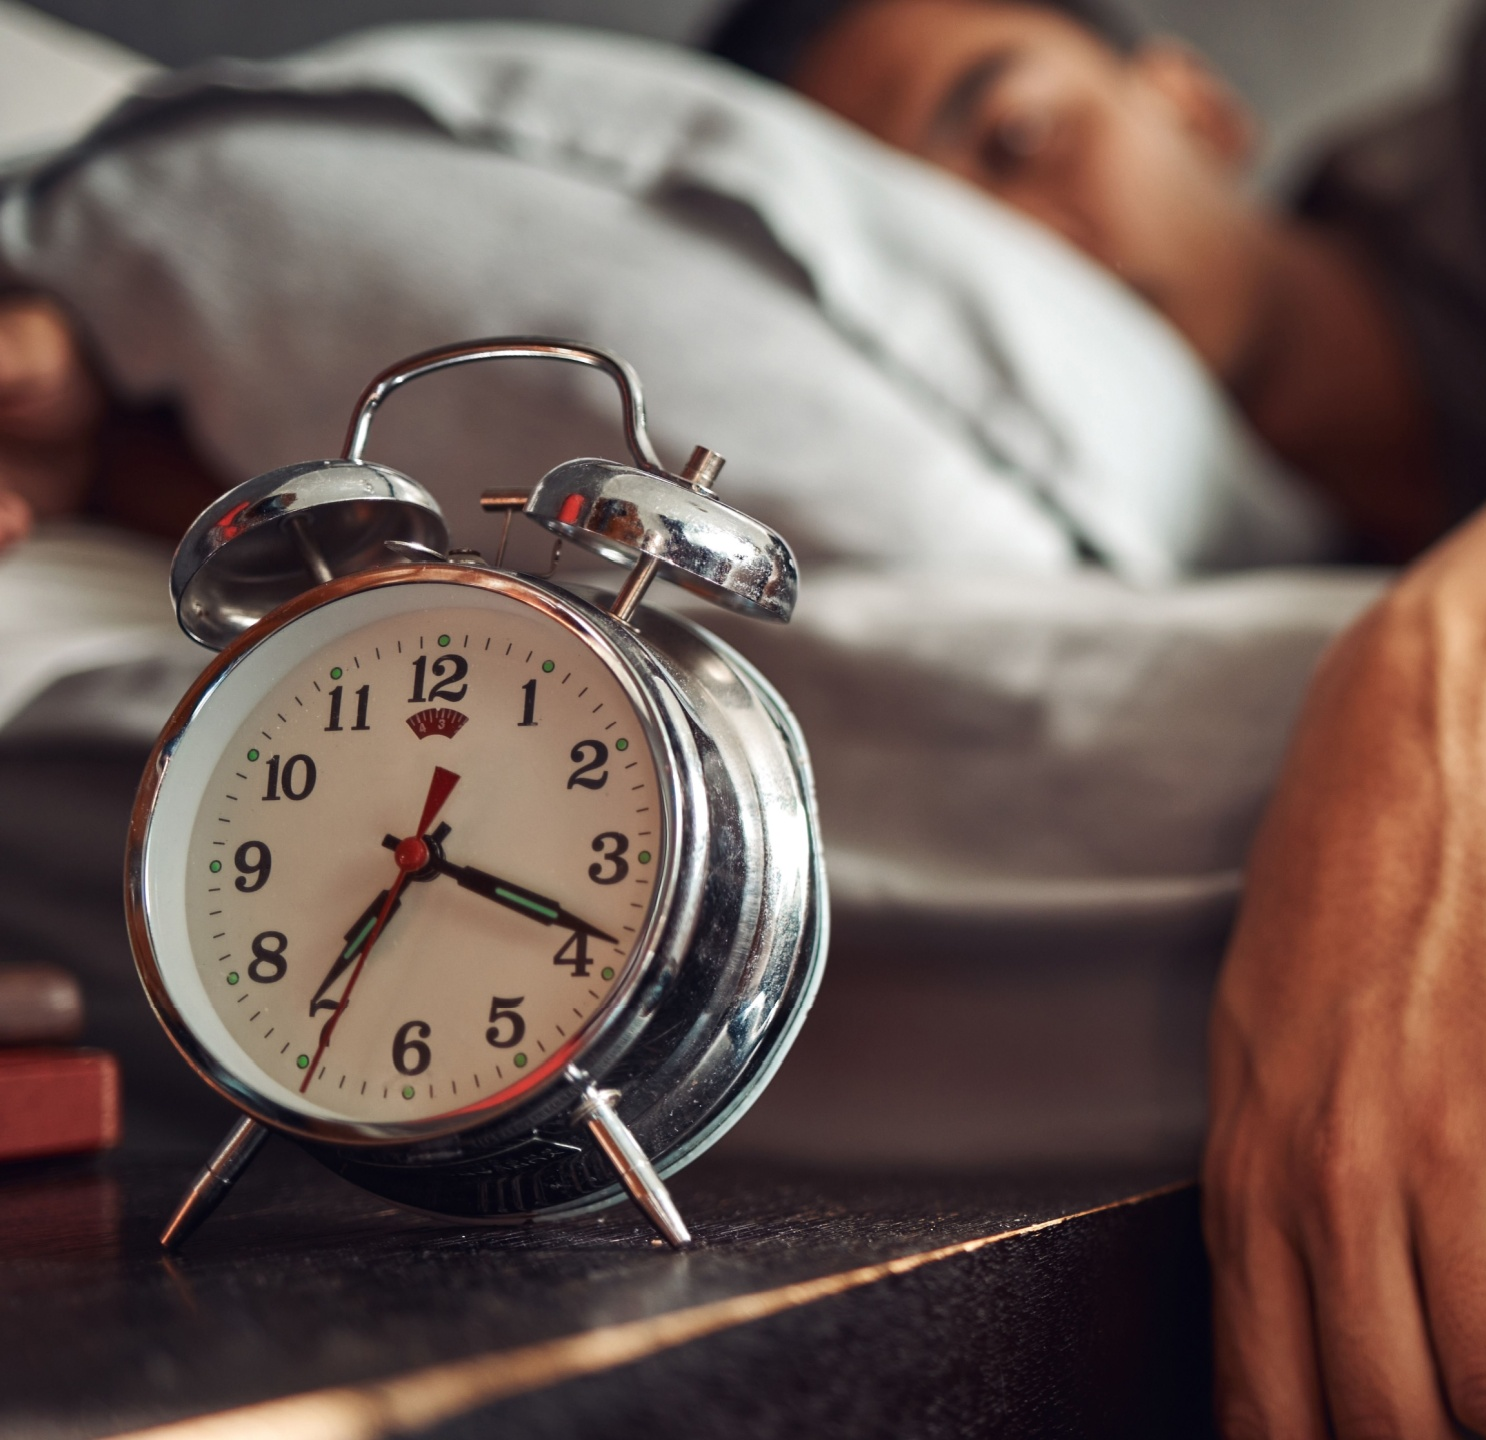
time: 7:18
